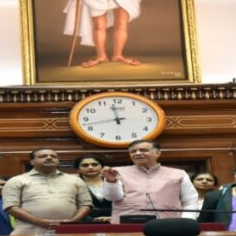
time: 11:42
